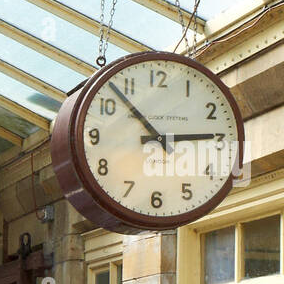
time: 2:53
